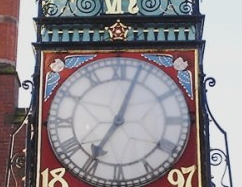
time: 7:03
